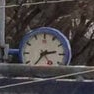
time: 2:36
